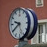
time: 9:39
